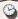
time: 11:12
